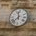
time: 11:37
